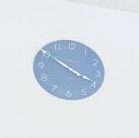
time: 3:50
